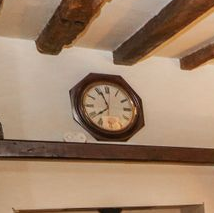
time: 7:56
